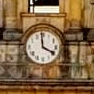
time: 3:59
